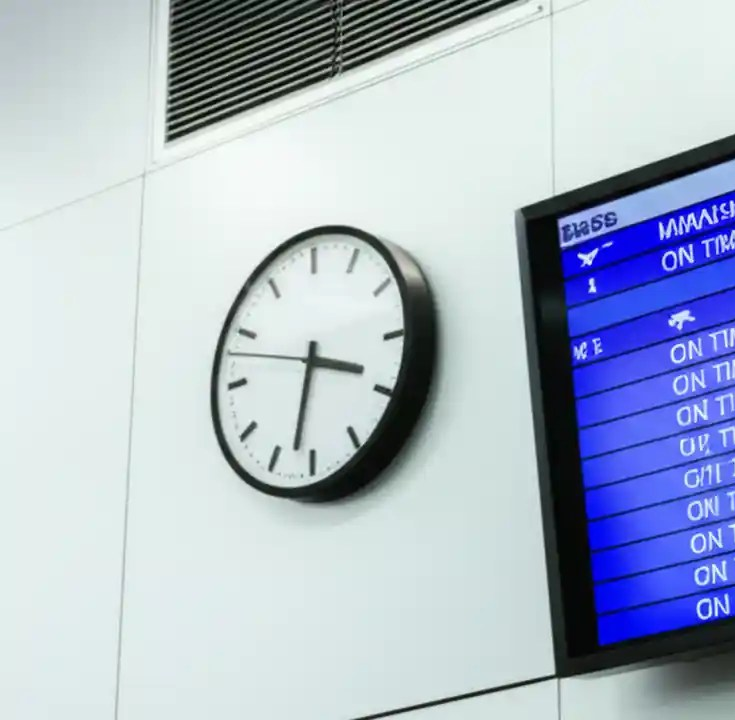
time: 3:32
